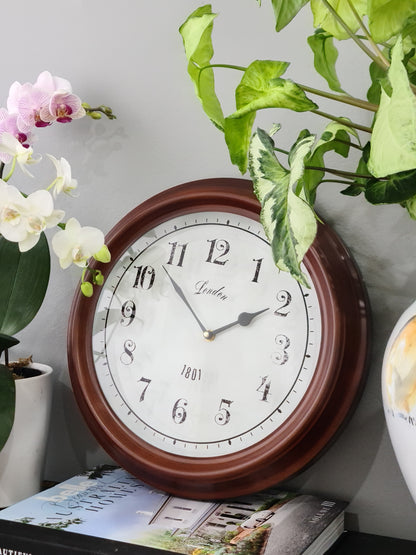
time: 1:52
